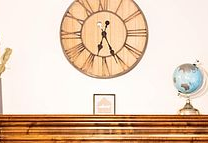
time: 6:25
